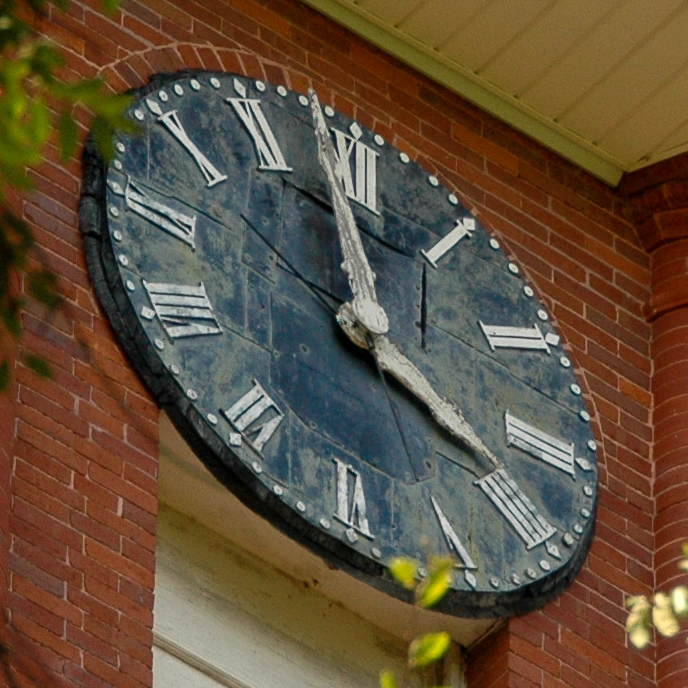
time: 3:58
